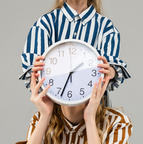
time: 1:33
